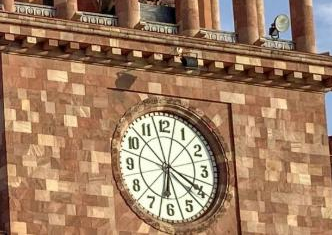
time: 6:20
